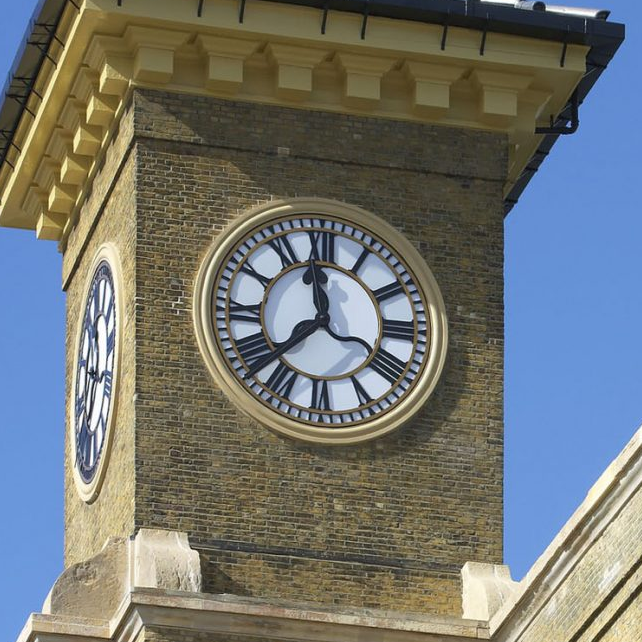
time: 11:37
